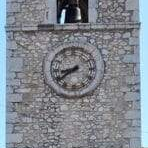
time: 8:38
